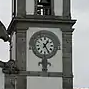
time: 1:24
